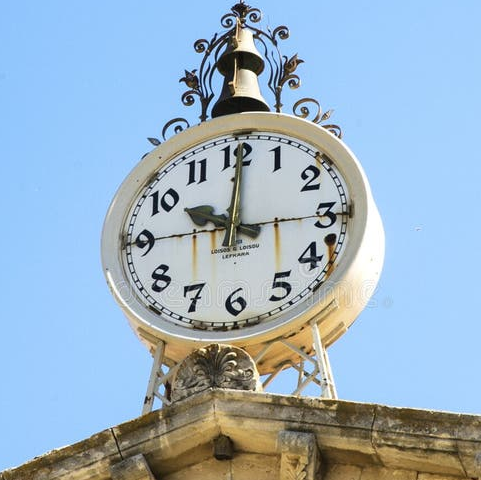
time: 10:00
